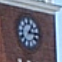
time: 1:16
